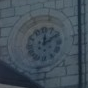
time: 12:09
